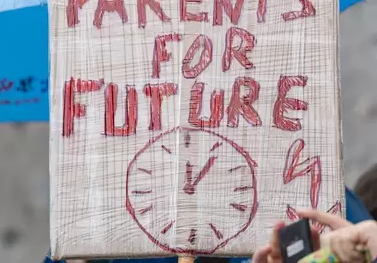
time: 12:05
